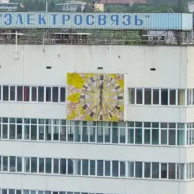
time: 6:00
